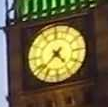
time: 4:38
